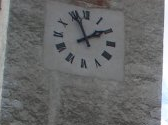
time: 1:56
